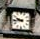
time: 9:43
